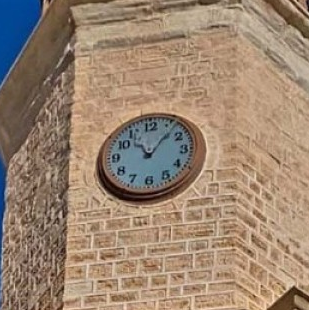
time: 11:06
